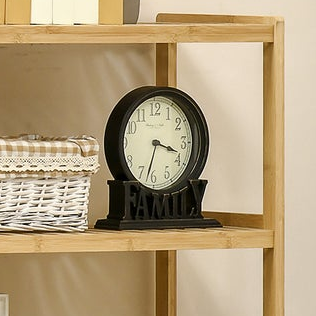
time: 3:32
